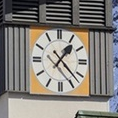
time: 1:22
